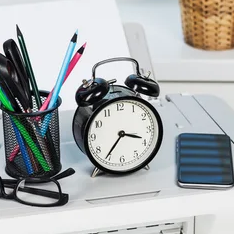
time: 3:36
